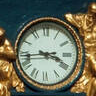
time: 3:43
